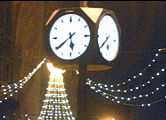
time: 5:39
